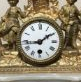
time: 1:43
